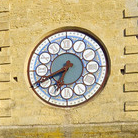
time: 6:40
